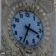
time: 3:33
